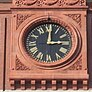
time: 3:00
